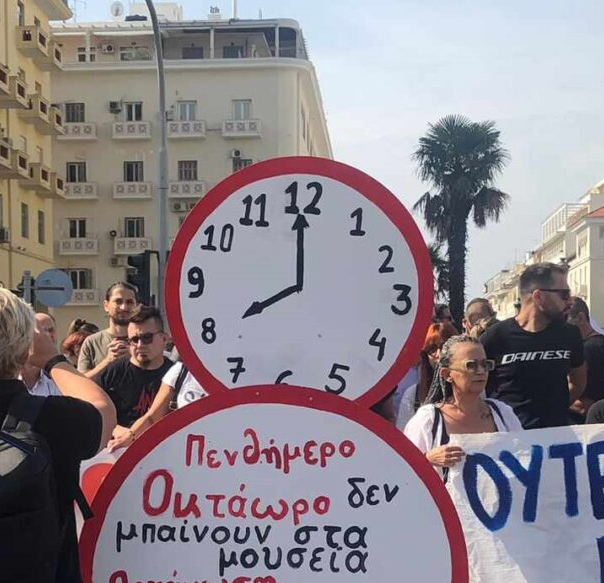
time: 7:59
